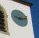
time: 9:12
